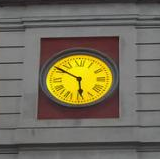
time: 5:50
